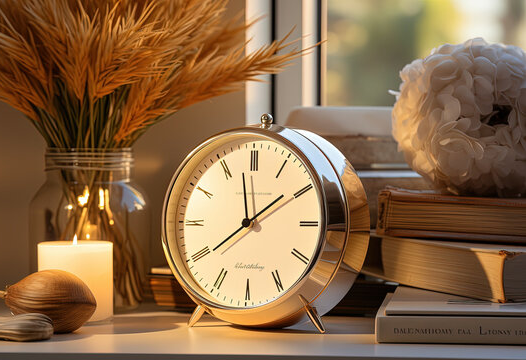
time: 11:39
